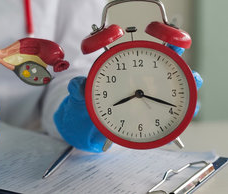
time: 8:18
